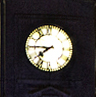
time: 7:45
